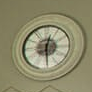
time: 12:28
